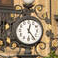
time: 12:23
